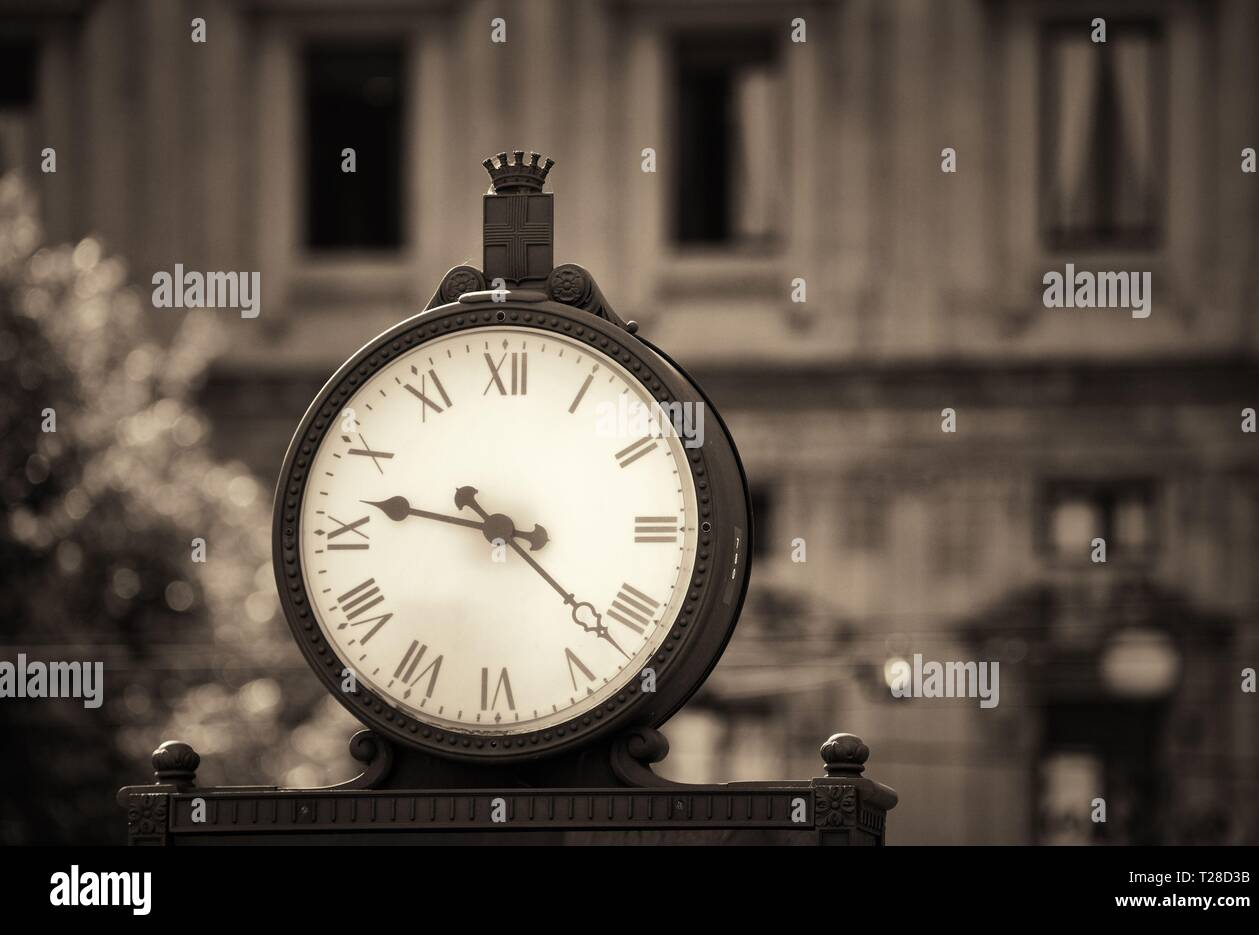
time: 9:22
